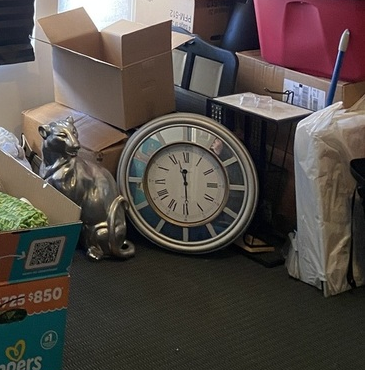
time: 11:29
